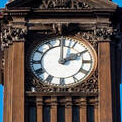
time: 2:00
